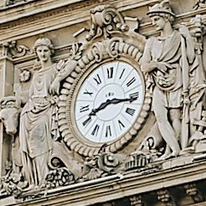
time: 8:16
